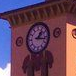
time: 1:16
